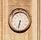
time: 6:32
